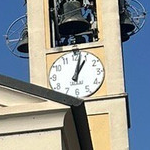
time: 1:02
